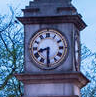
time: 8:30
